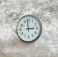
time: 2:58
